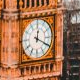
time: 12:19
